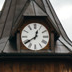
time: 12:39
